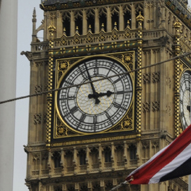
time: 2:56
